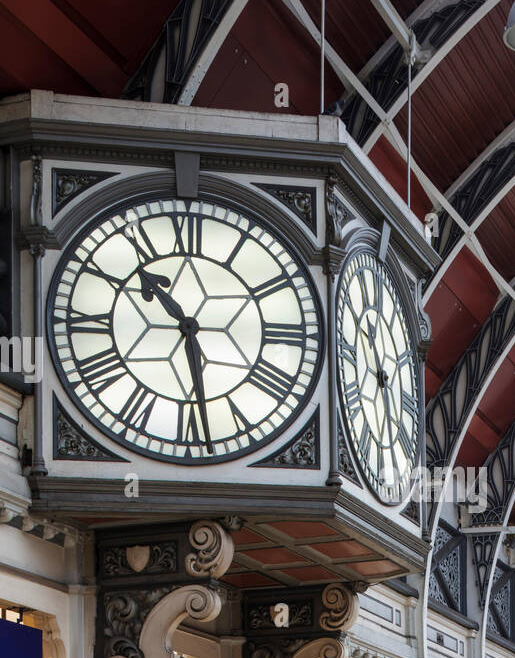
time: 10:28
